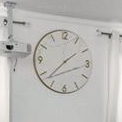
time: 1:37
